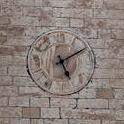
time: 5:10
